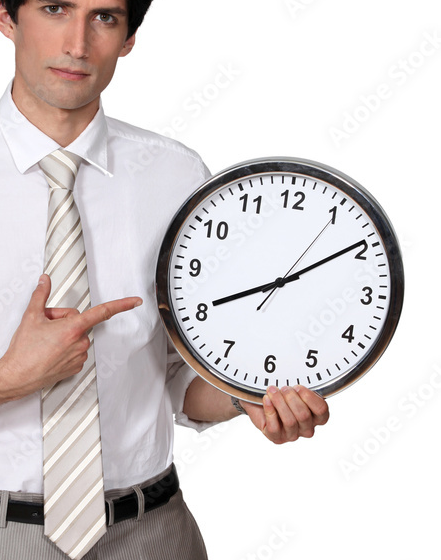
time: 8:09
